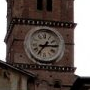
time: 7:14
